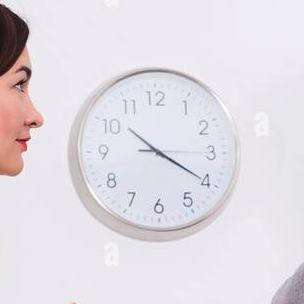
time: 10:20
